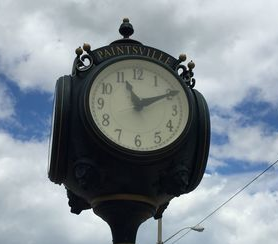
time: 11:10
